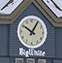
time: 10:05
